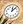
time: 12:07
